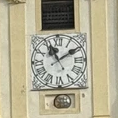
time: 11:09
